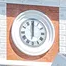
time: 12:00
